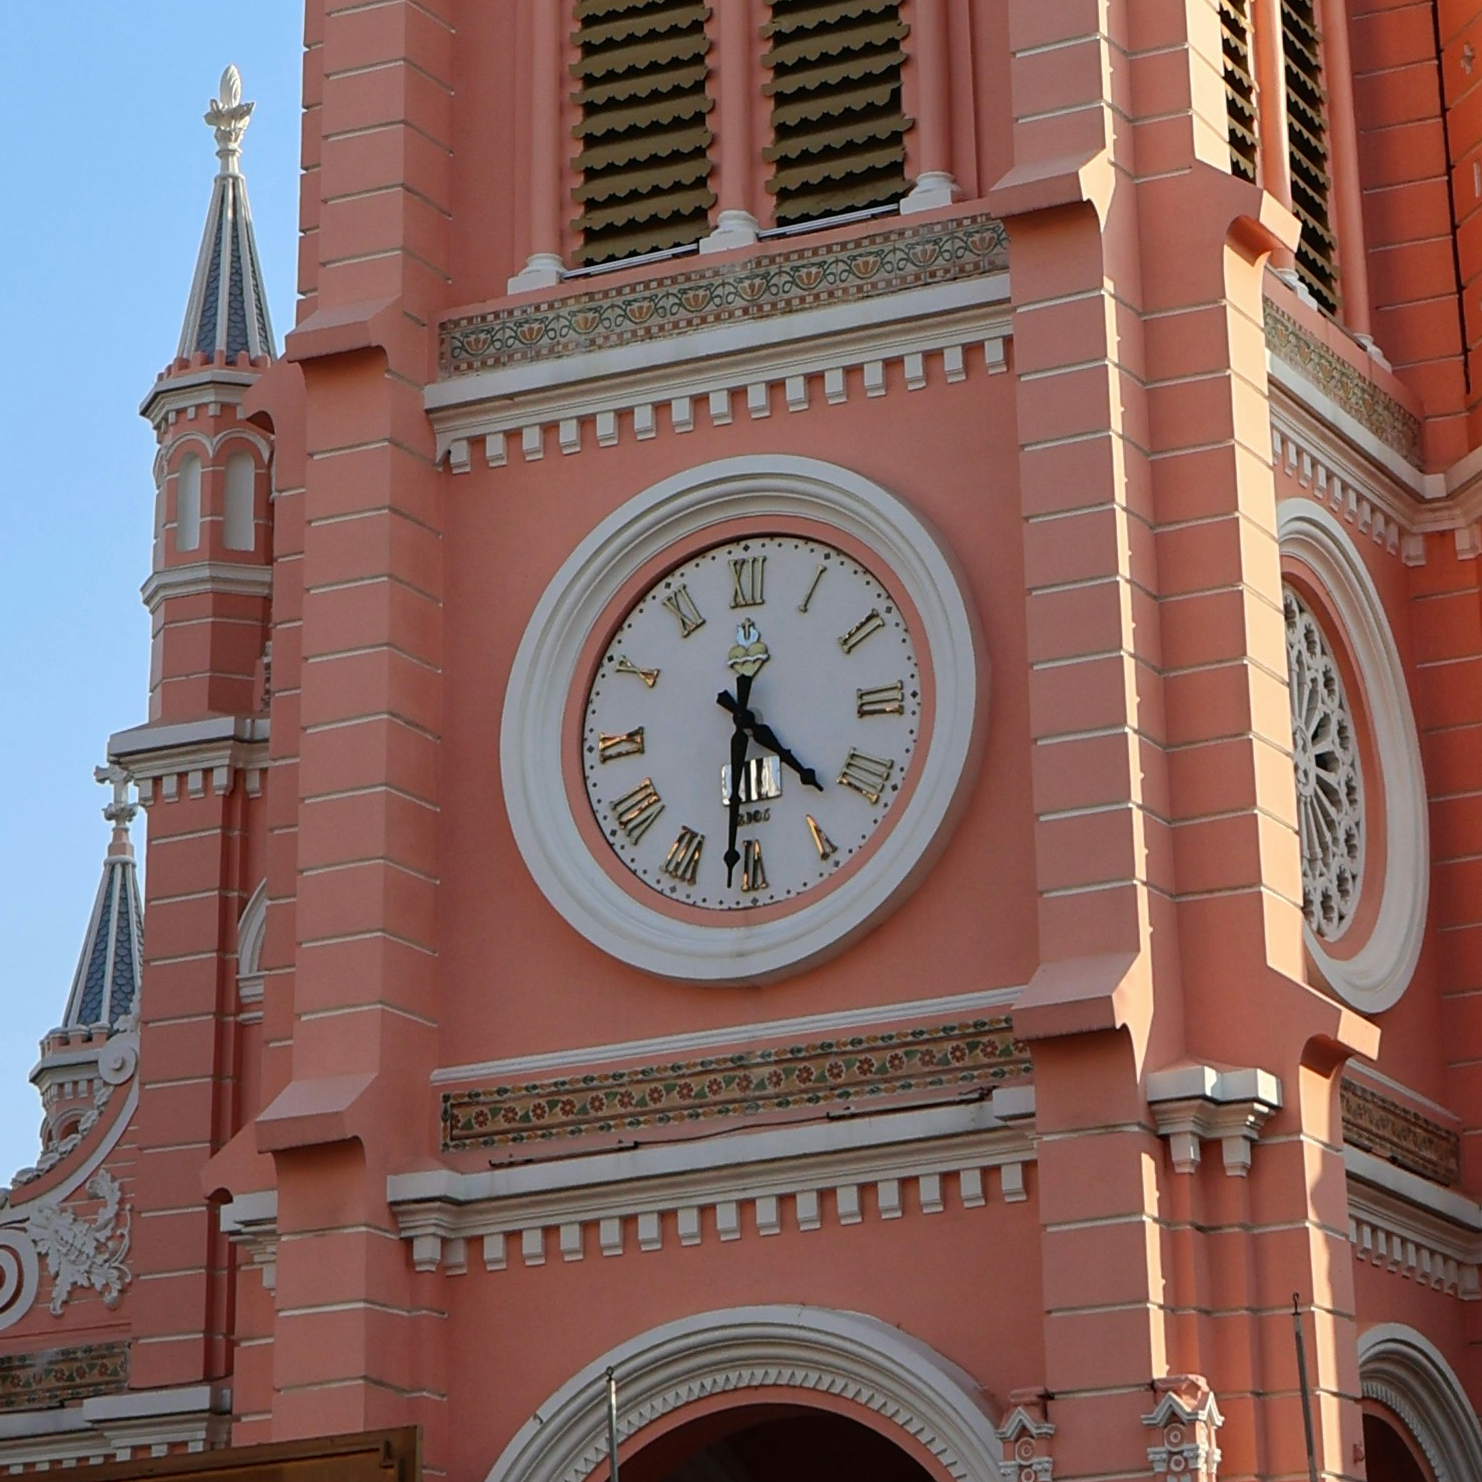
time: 4:31
